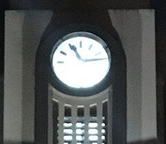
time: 11:13
